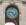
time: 9:23
